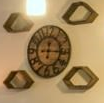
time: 12:14
